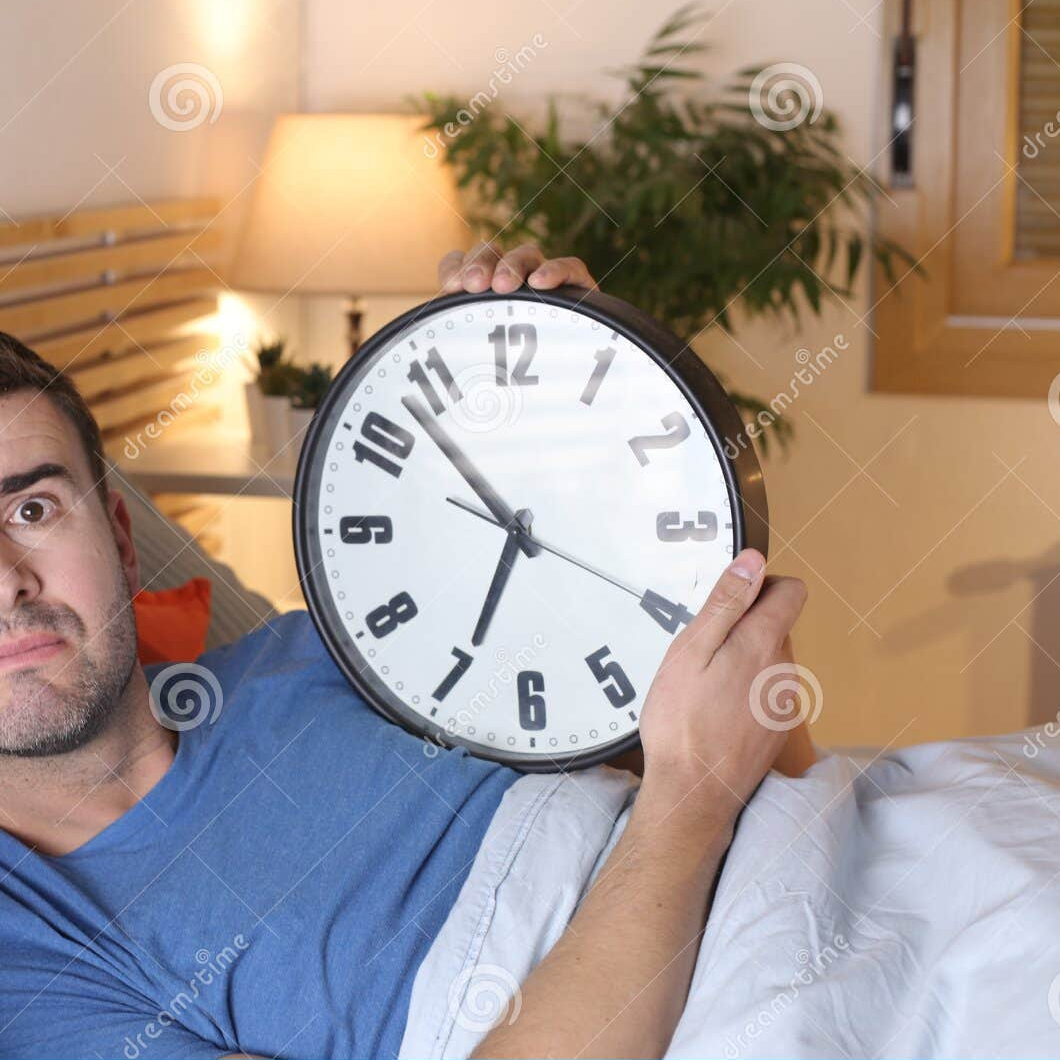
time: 6:53
